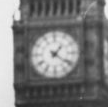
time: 1:21
